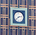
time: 2:38
